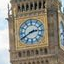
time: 2:40
